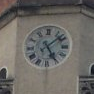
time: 5:08
